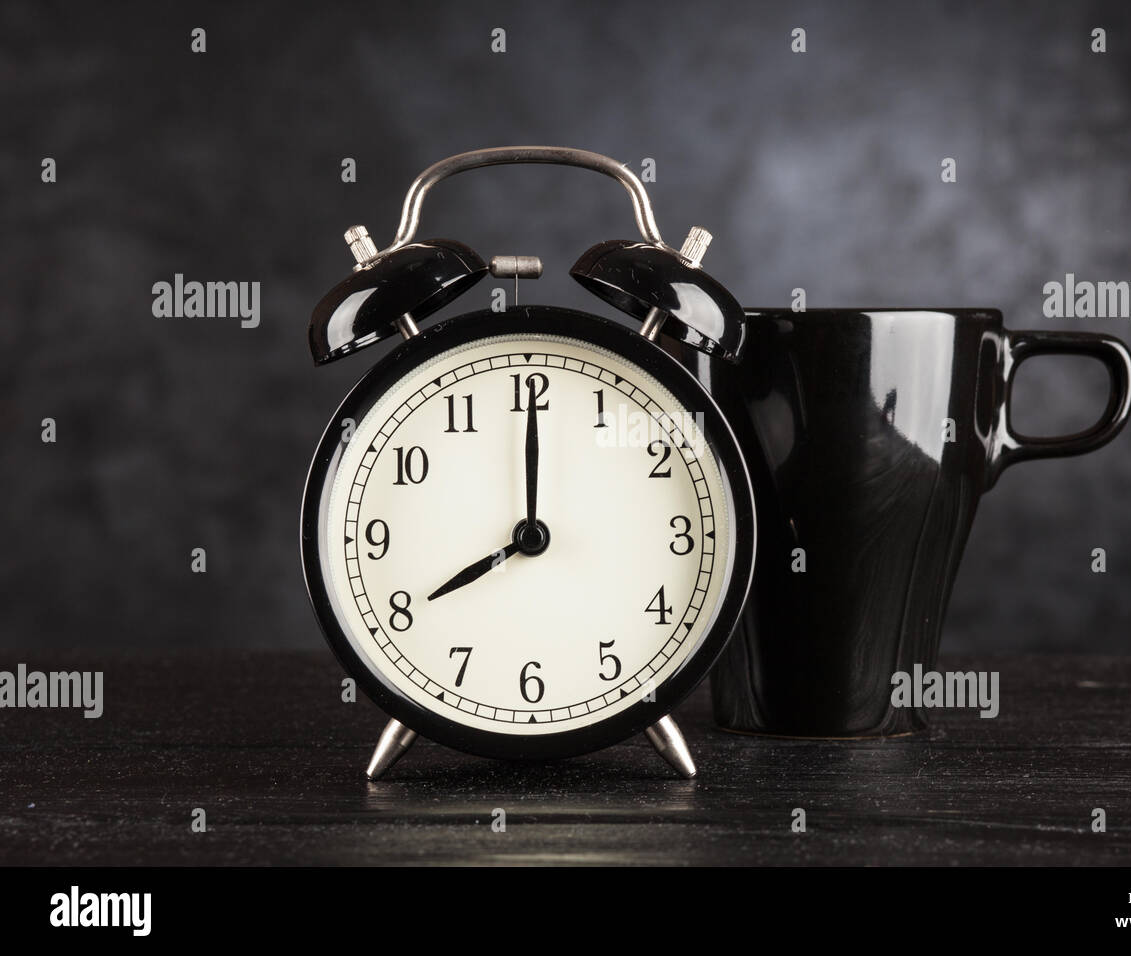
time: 8:00
